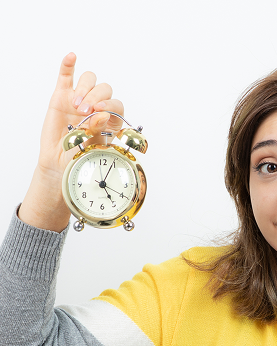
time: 5:04
